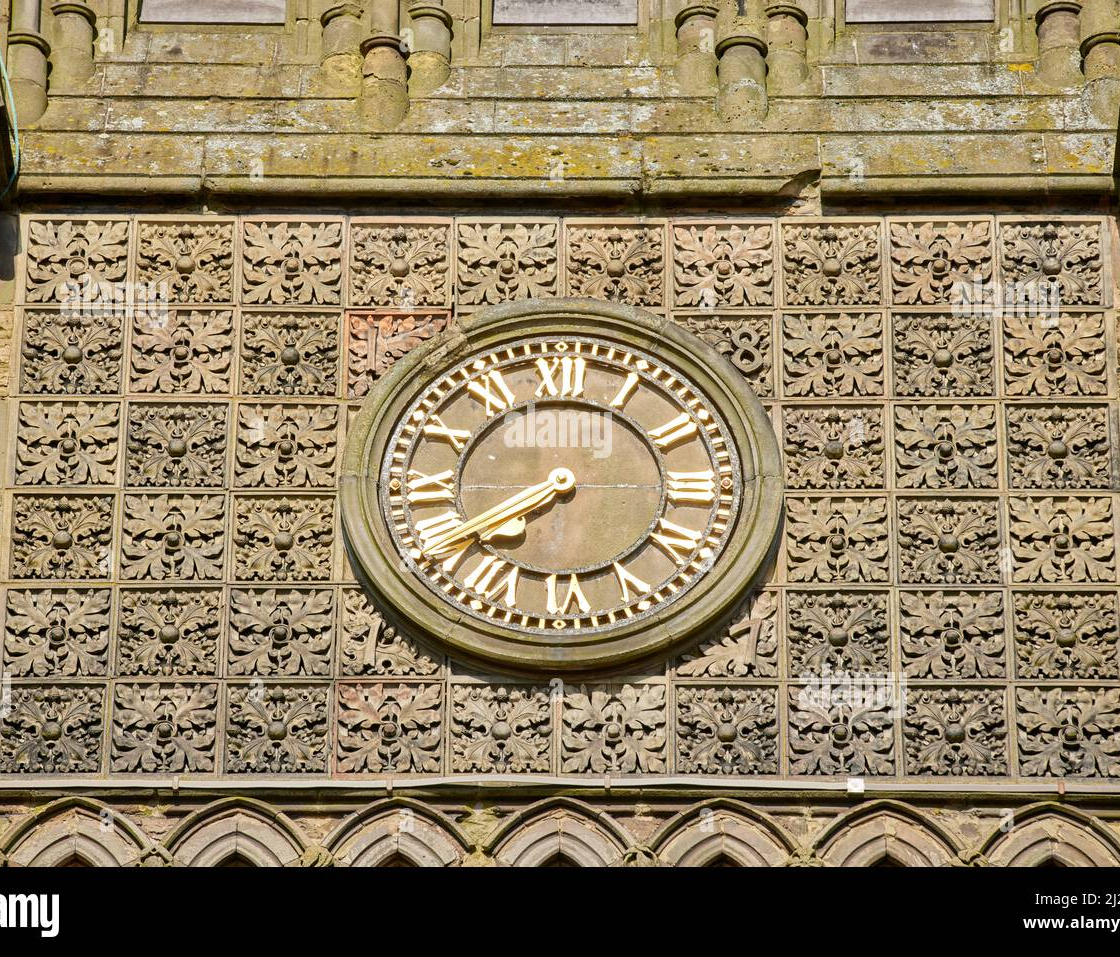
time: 7:40
